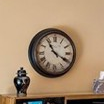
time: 3:54
